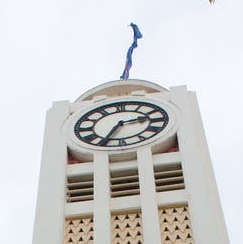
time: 2:34
